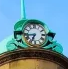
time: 6:43
